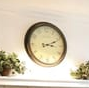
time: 3:11
